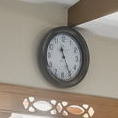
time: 11:25
